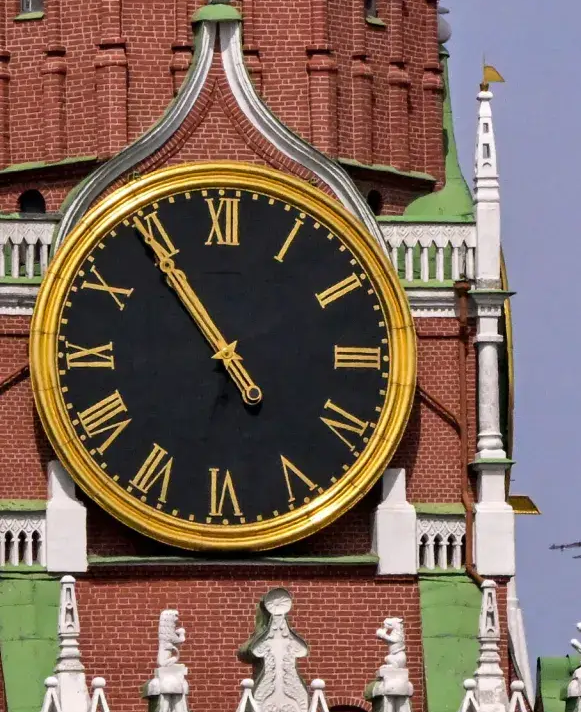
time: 10:54
